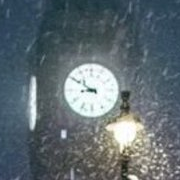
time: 8:50
